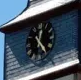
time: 12:24
